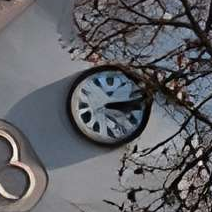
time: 3:12
